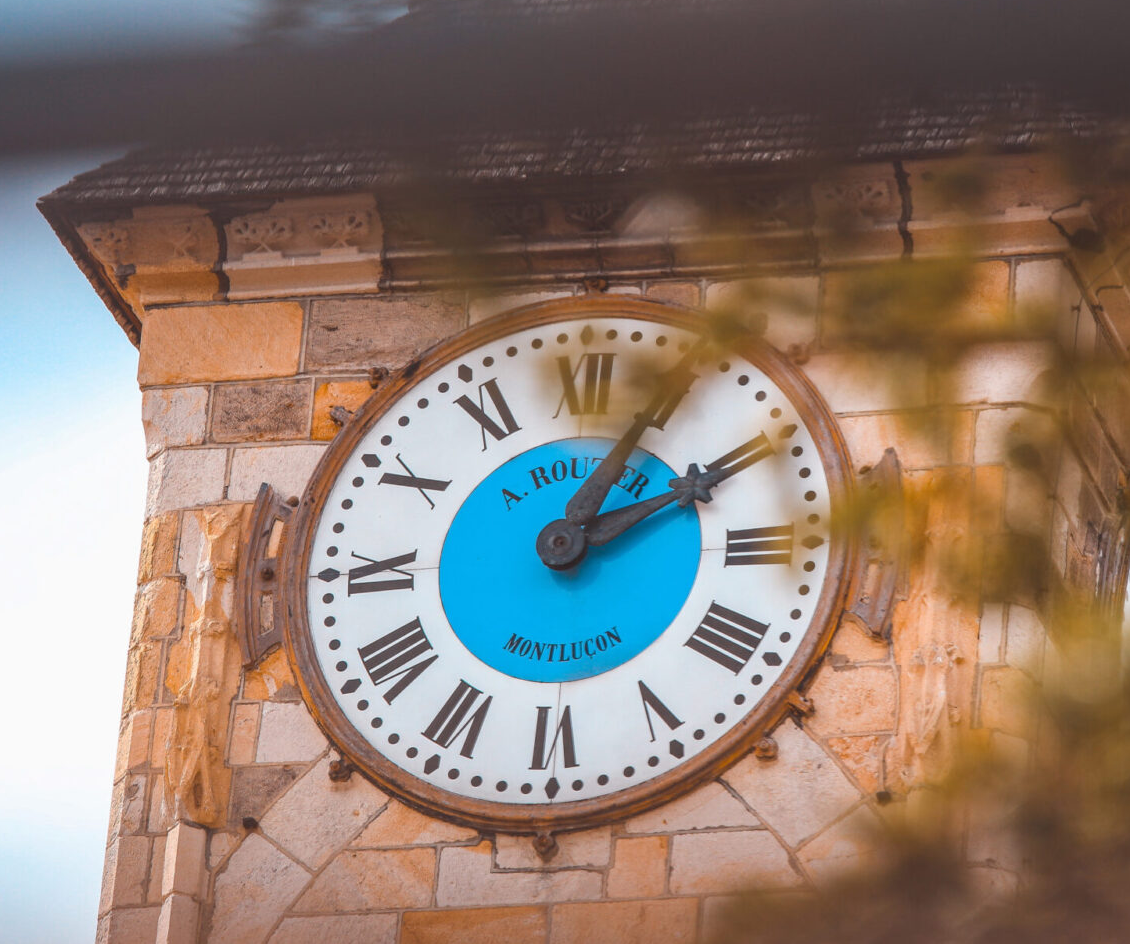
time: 1:10
